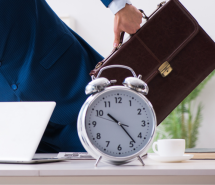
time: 10:23
